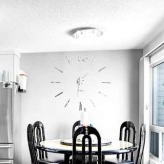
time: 1:30
